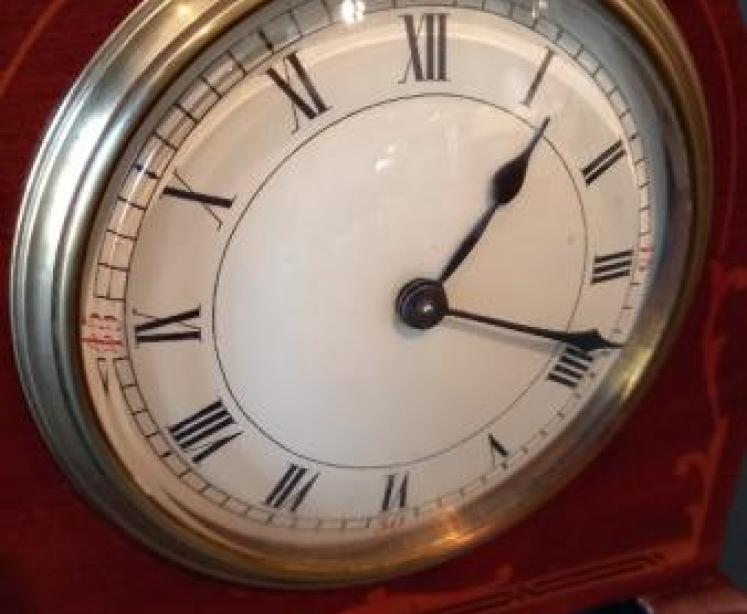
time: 1:18
